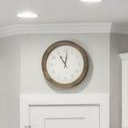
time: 11:01
